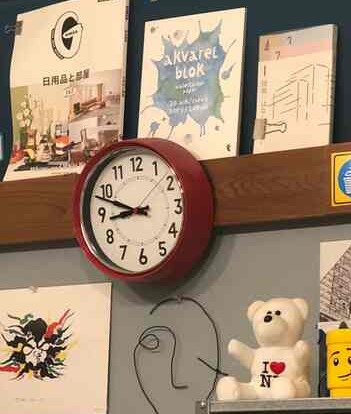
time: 8:48
